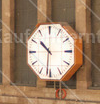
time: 10:31
